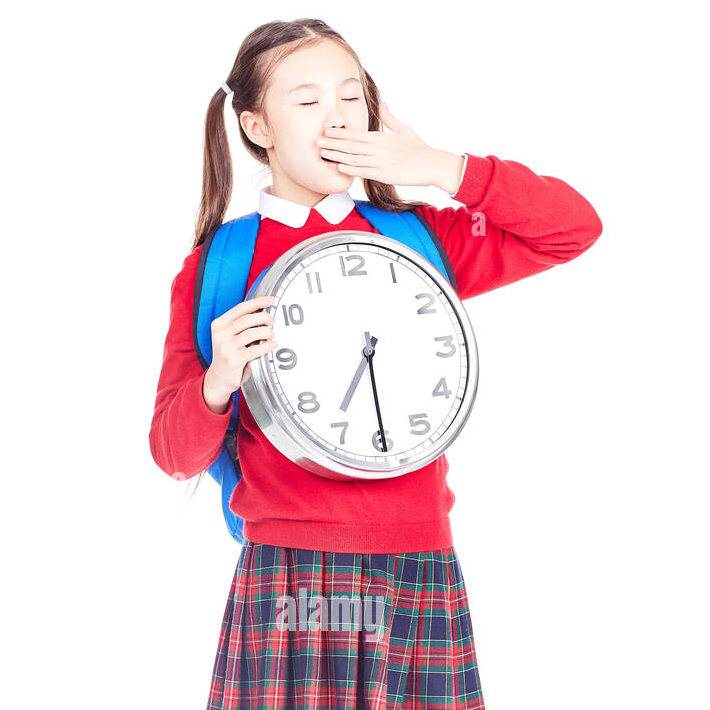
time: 7:30
